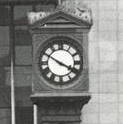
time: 3:50
